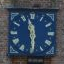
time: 11:29
